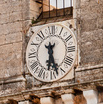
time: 6:27
